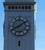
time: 8:09
